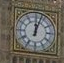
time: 12:03
